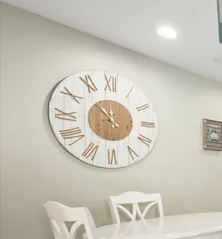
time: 11:52
